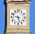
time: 9:27
